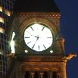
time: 9:34
